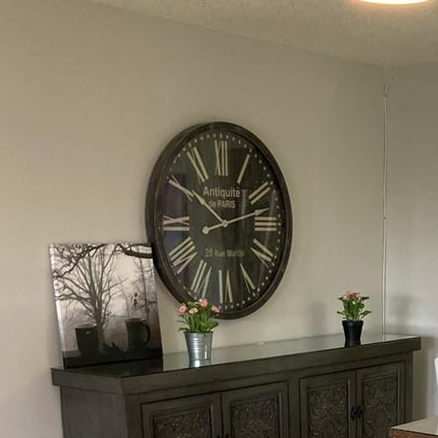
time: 12:50
